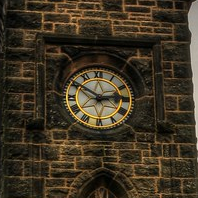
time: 2:50
